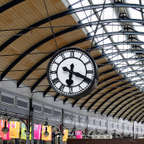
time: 6:18
